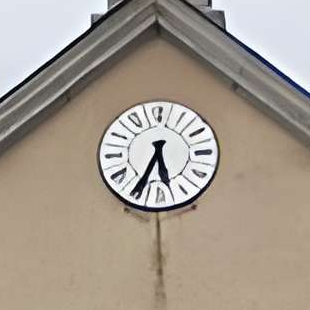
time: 5:34
